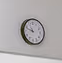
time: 10:47
